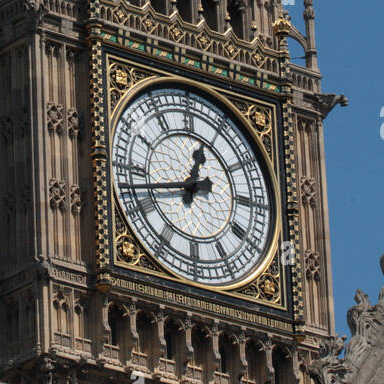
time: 12:42
